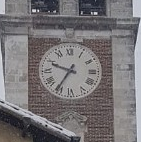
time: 9:35
